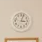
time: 3:02
